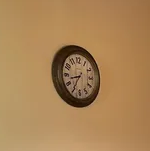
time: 8:35
